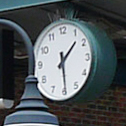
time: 1:29
